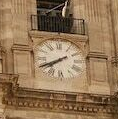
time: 7:40
